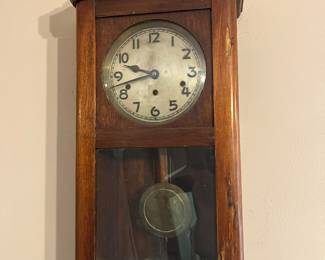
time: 9:42
